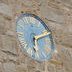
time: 6:11
